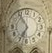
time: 6:54
